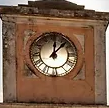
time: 12:07
